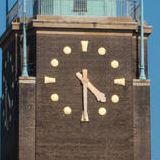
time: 4:30
